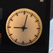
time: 9:01
